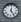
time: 12:24
